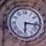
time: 6:16
